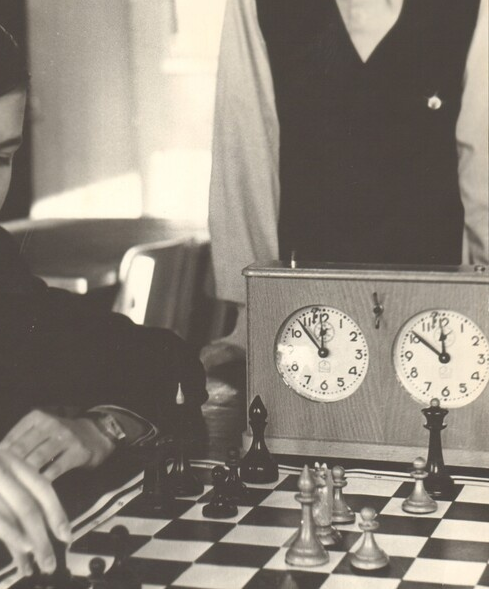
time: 11:52
